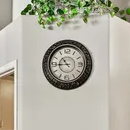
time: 10:44
